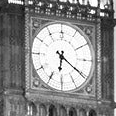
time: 6:20
